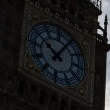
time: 10:05
